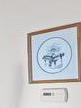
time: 2:46
